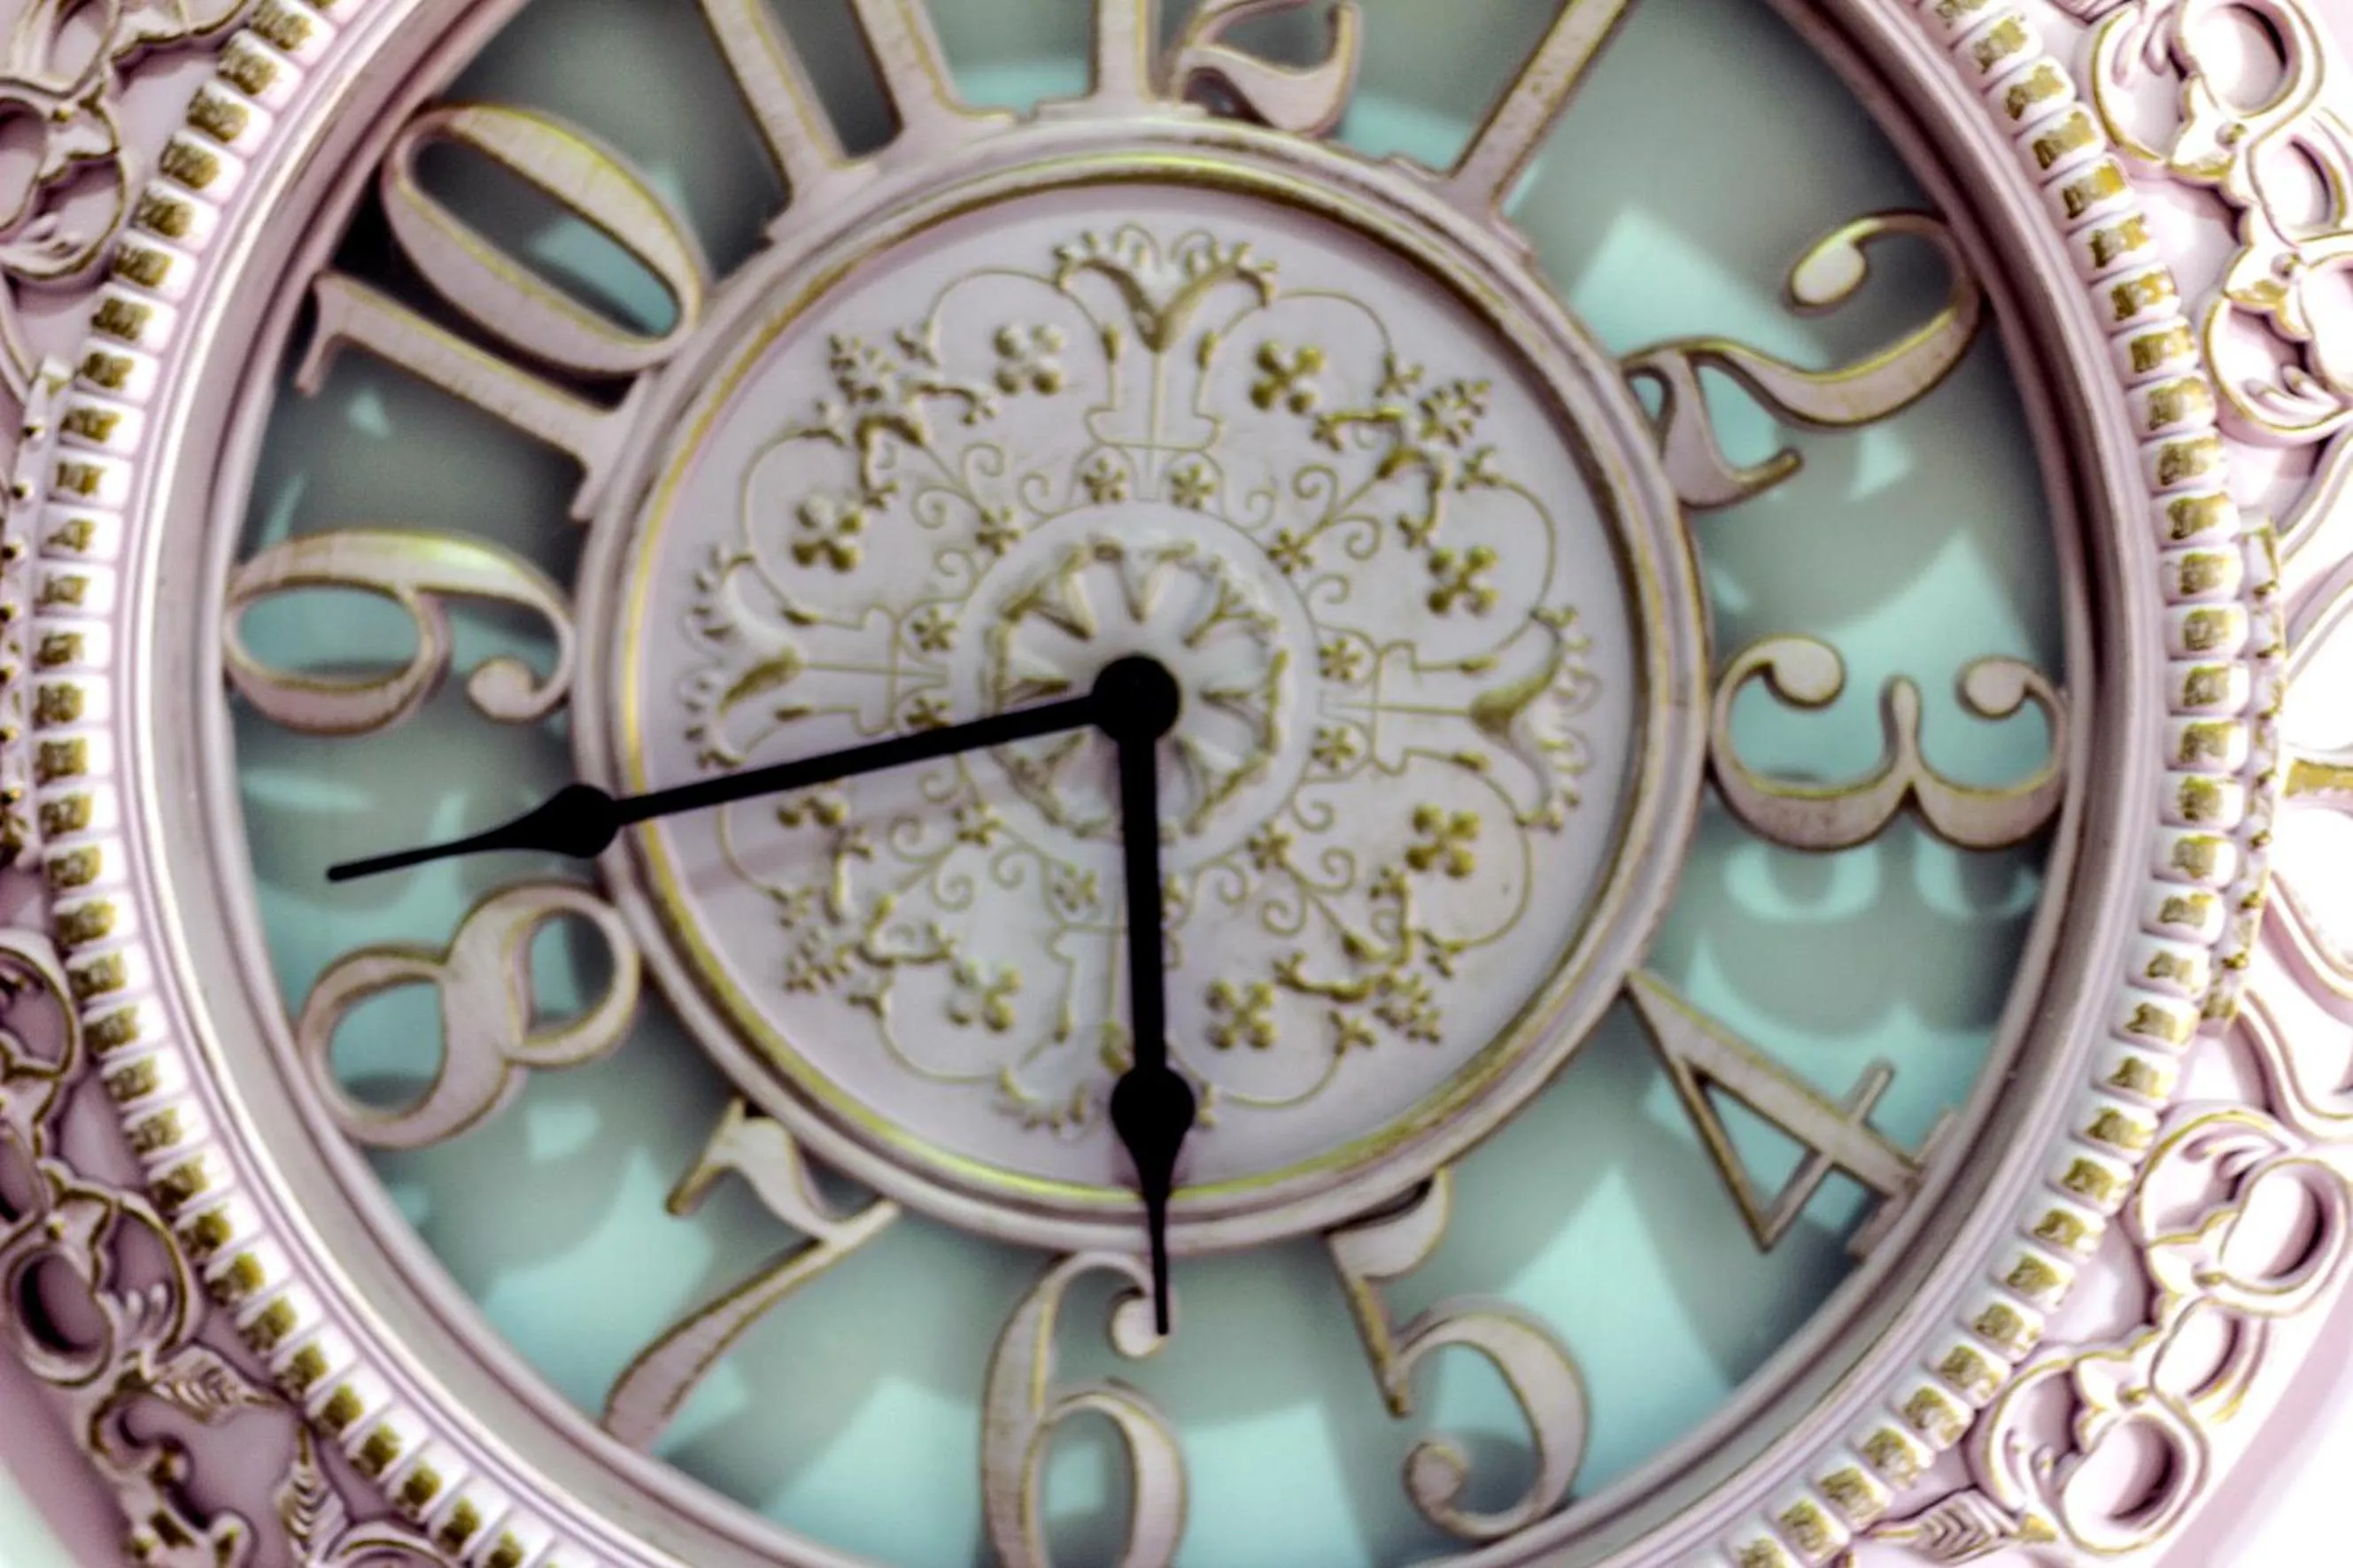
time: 5:43
